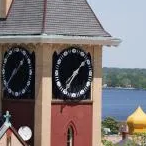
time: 1:36
